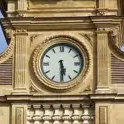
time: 5:29
